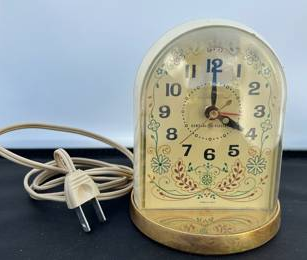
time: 4:00
